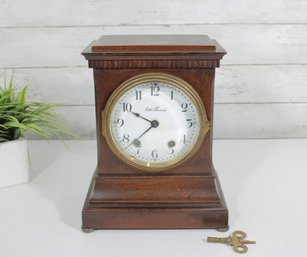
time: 7:49
